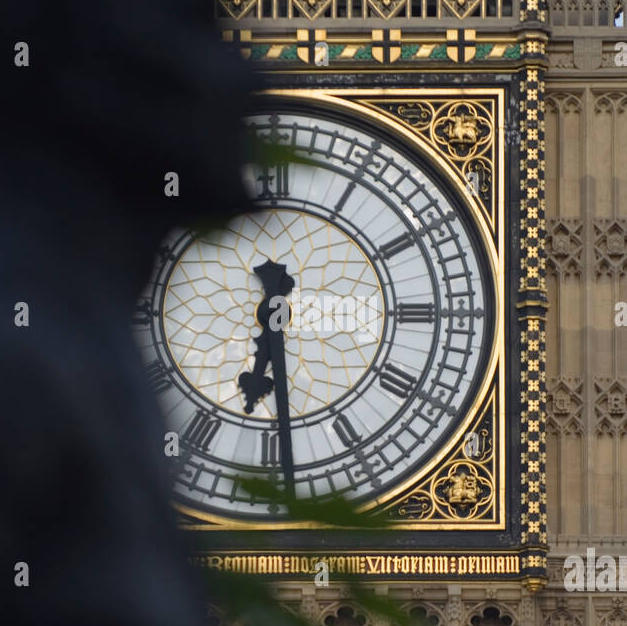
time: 6:29
